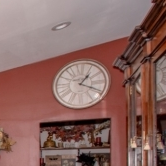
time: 1:18
